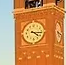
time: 4:16
